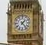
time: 1:23
